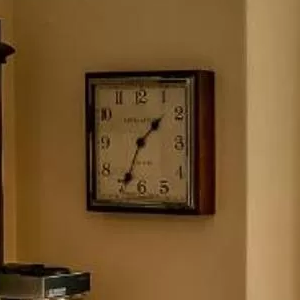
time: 1:34
